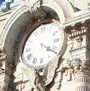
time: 4:20
